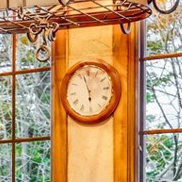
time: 5:57
